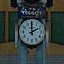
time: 1:59
